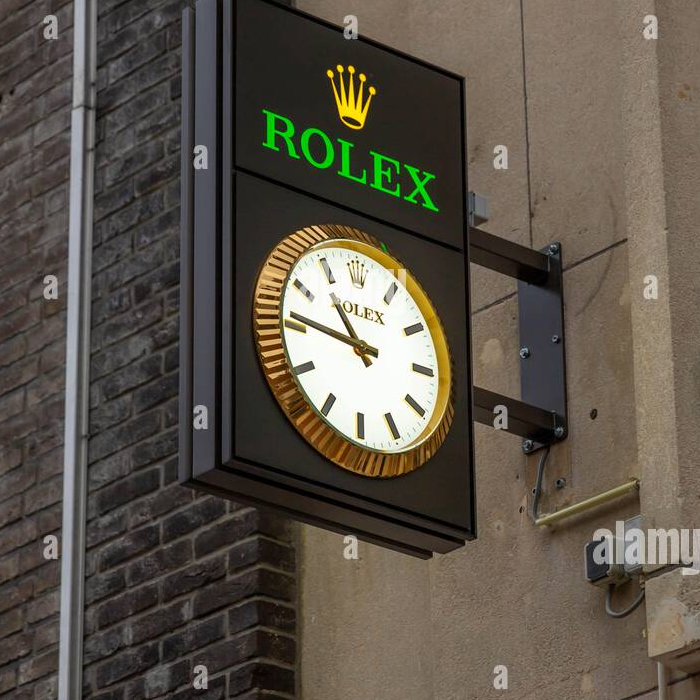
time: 10:46
